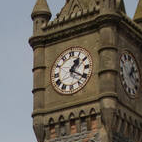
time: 1:20
